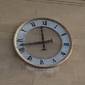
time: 11:42
